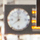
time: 7:59
